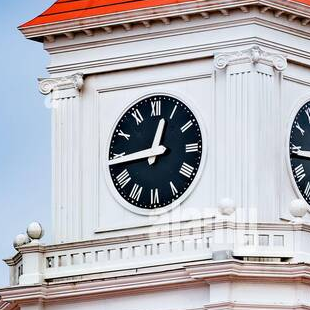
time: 12:43
